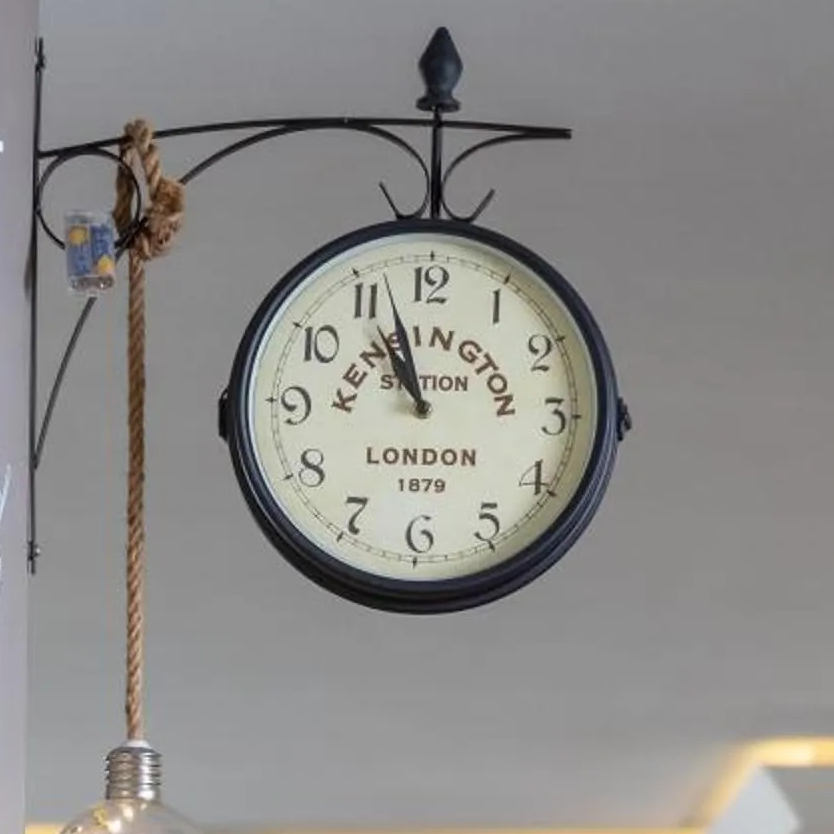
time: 10:56
